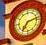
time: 7:12
